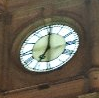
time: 7:00
